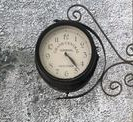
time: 4:23
